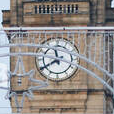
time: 11:40
